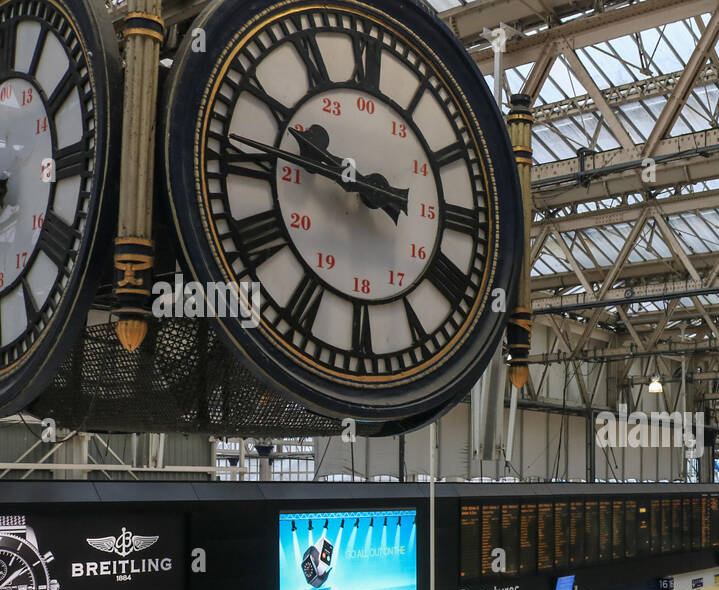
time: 9:45
